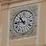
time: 10:45
